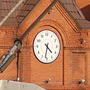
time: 4:31
